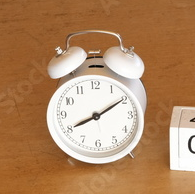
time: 8:09
